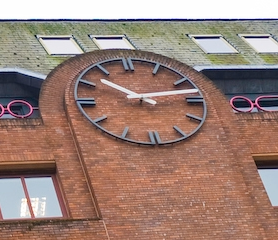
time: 10:12
